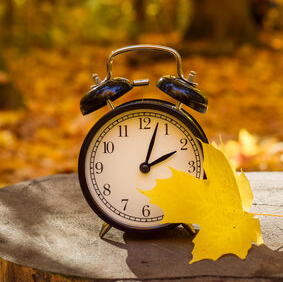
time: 2:03
